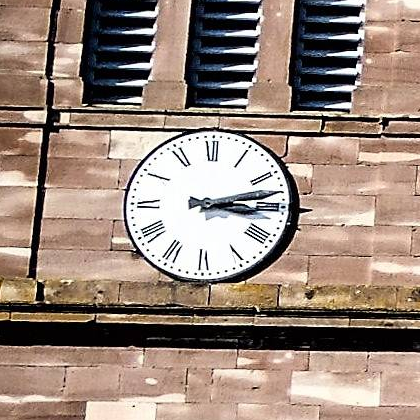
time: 3:13
